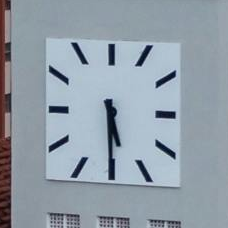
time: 5:29
